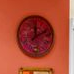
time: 12:11
